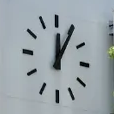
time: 12:05
